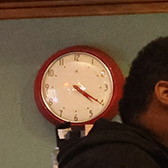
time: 4:20
